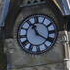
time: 11:20
